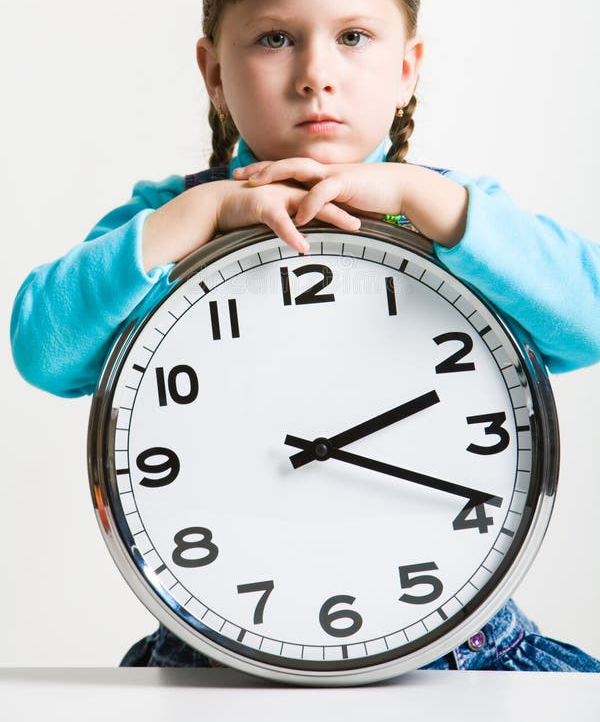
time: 2:18
